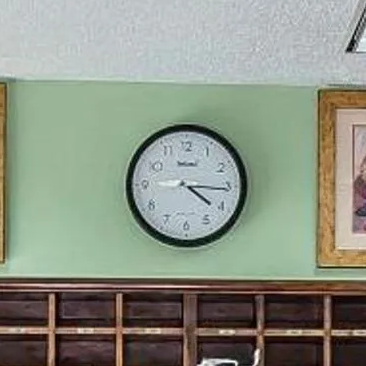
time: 4:15
